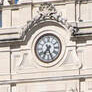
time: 7:25
